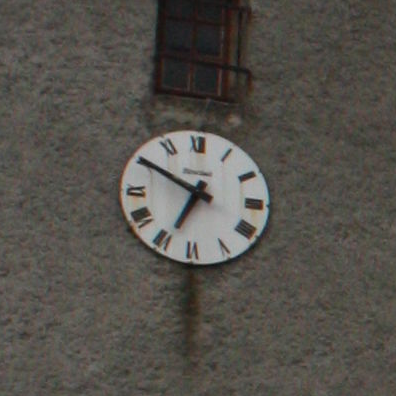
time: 6:50
